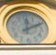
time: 12:10
